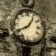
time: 8:06
